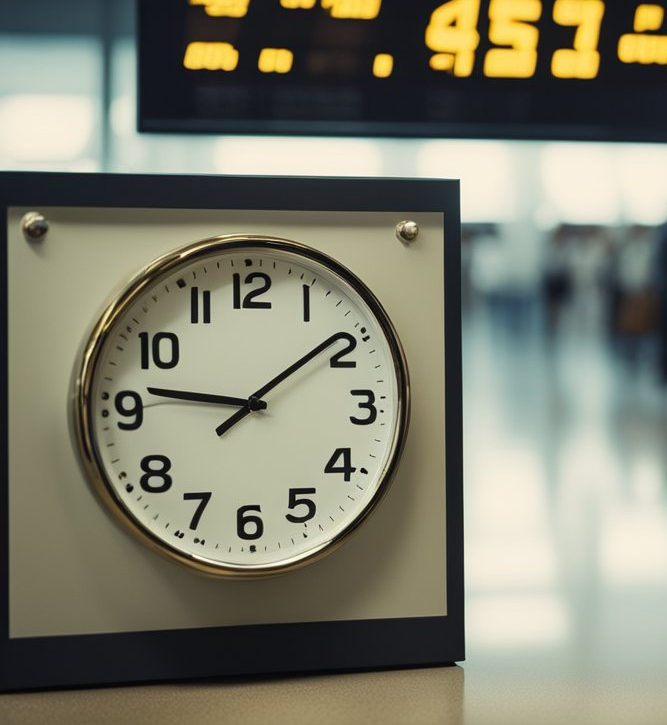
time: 9:09
